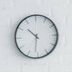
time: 10:31
